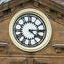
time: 4:14
